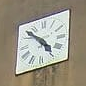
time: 4:52
